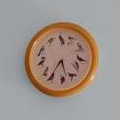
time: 5:35
